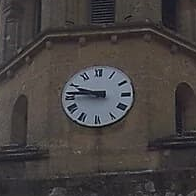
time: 9:45
